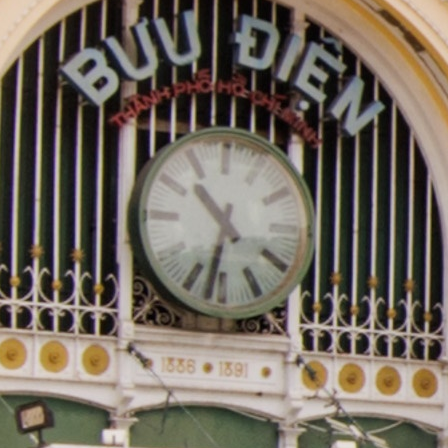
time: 10:32
